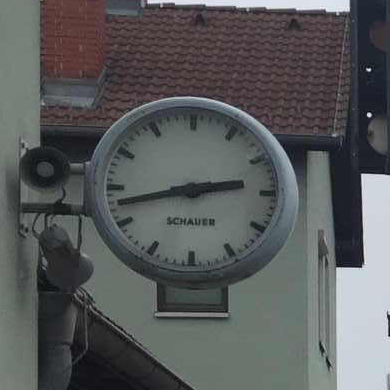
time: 2:42
